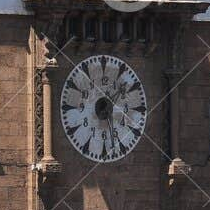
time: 1:28
